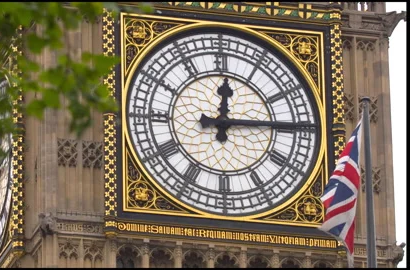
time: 12:14
